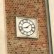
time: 1:42
